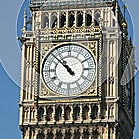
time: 10:52
